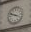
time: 3:48
